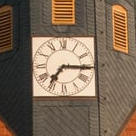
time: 7:15
